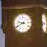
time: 9:40
